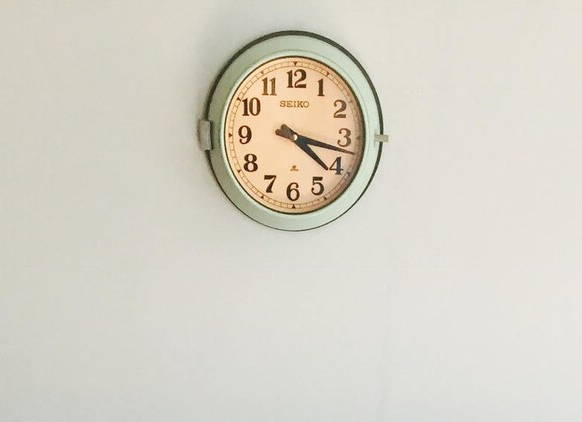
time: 4:17
